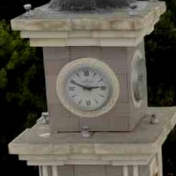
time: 2:49
